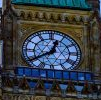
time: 12:39
